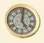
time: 5:01
